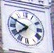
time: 7:49
